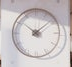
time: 10:08
